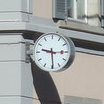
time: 9:29
